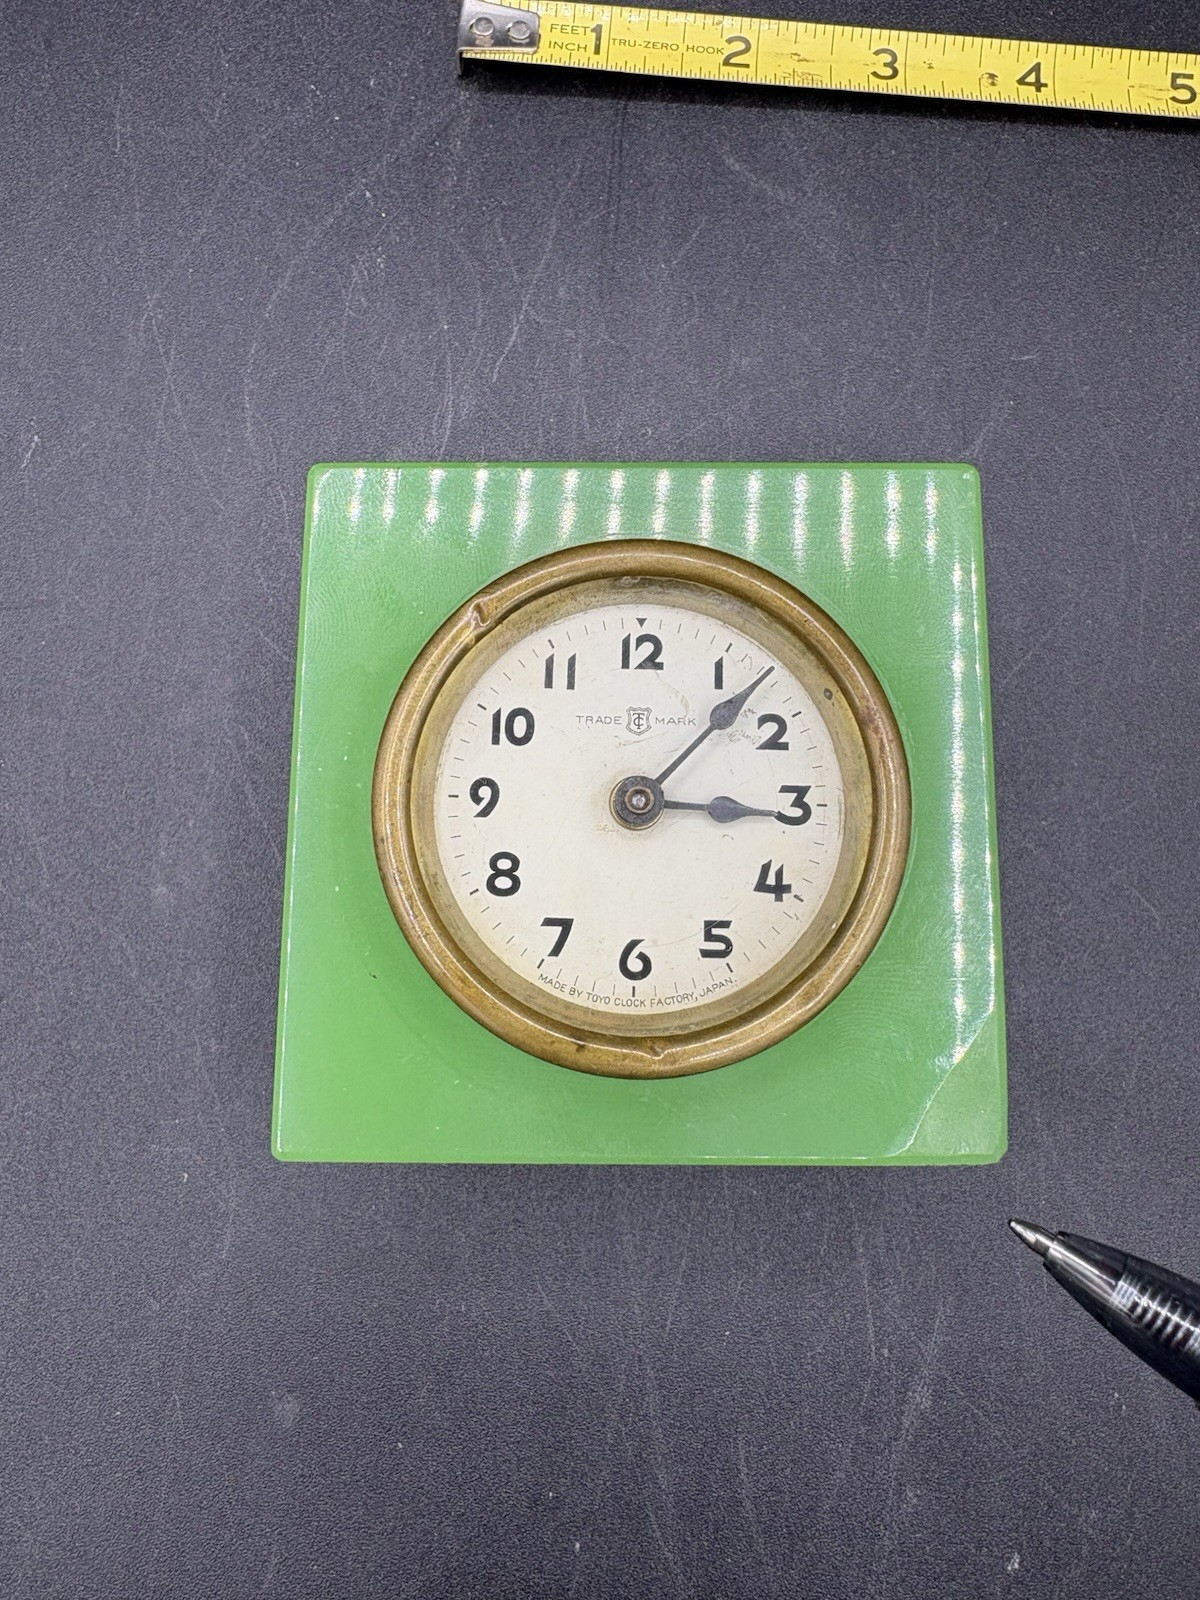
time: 3:07
